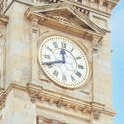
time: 11:40
